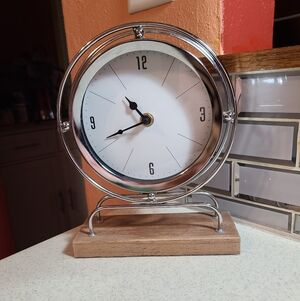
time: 10:41
